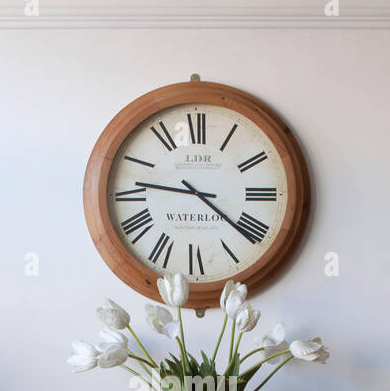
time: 9:21
